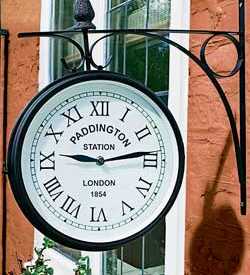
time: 9:13
